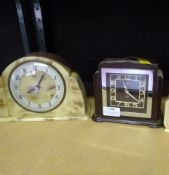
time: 8:04
